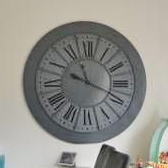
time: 11:18
